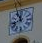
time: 11:41
